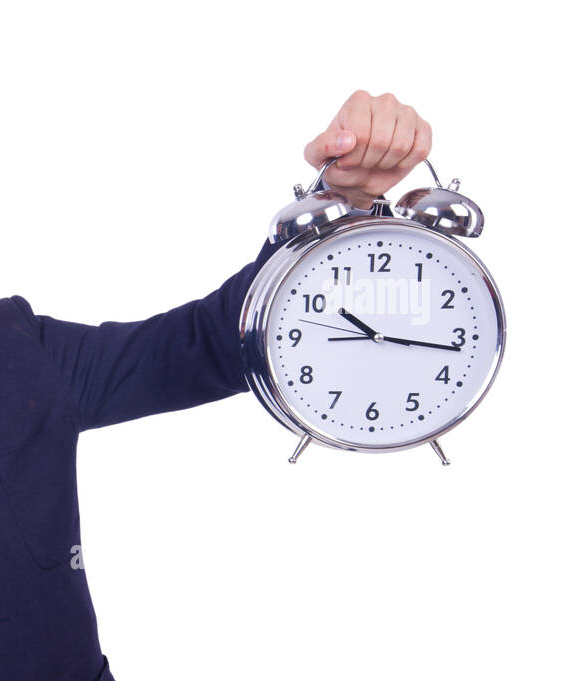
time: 10:16
